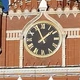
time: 1:56
